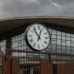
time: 12:53
